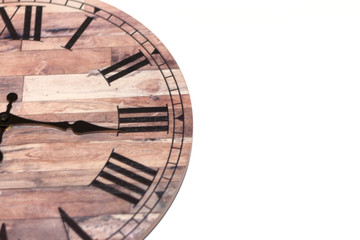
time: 3:16
